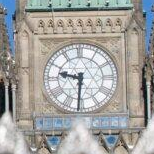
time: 9:31
